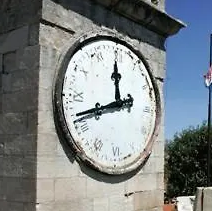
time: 11:41
